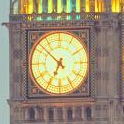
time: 6:52
